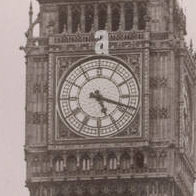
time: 5:18
